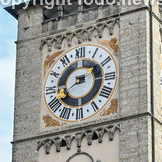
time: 2:40
